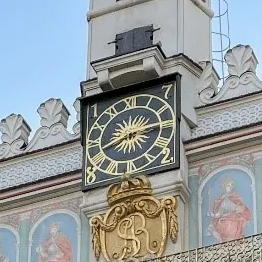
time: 8:13
